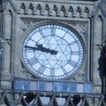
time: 9:46
